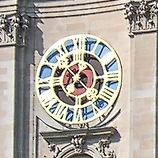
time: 12:52
